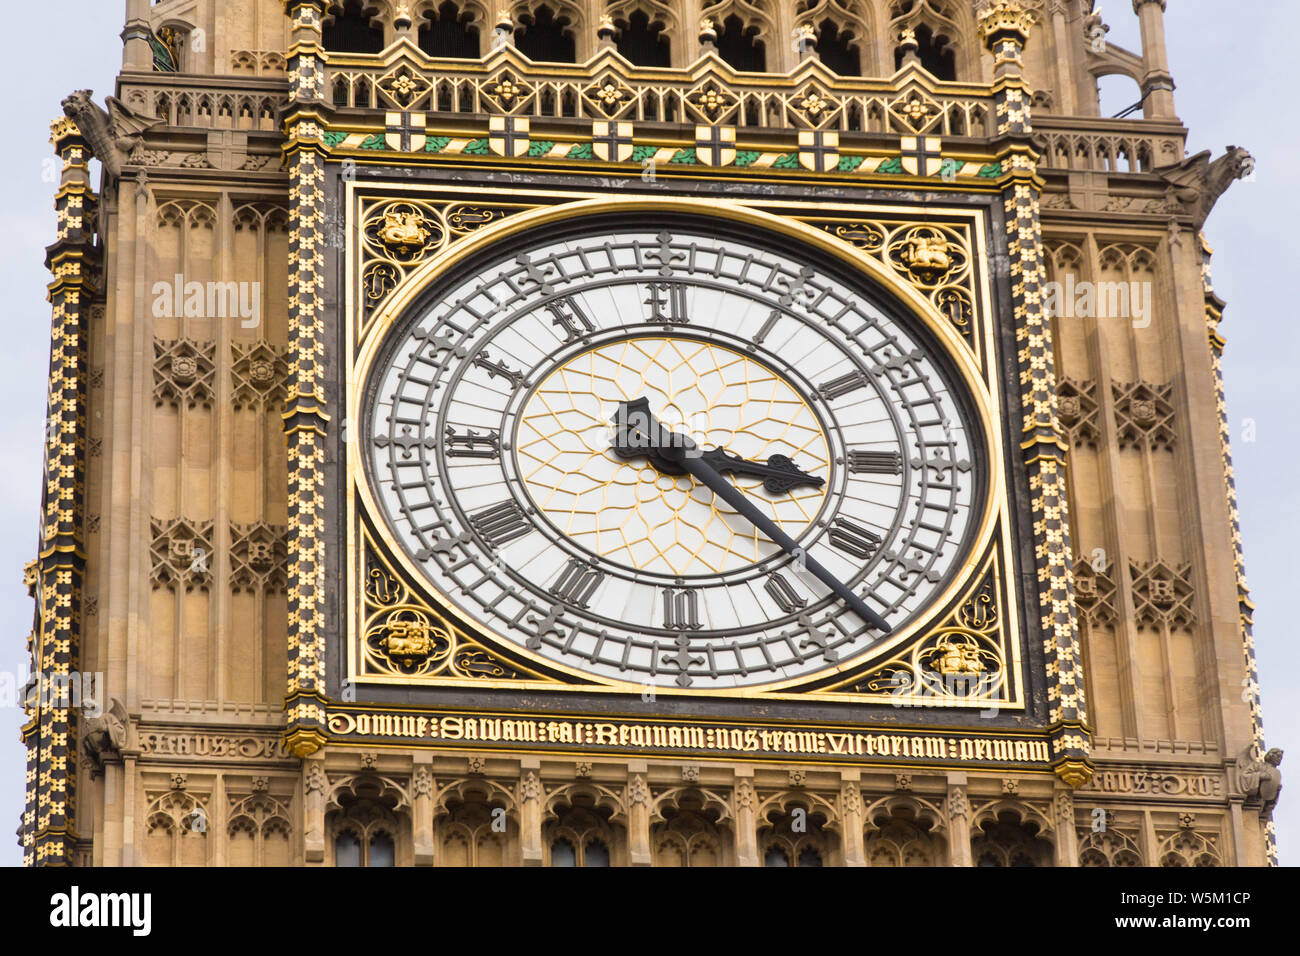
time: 3:22
